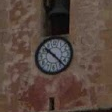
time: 10:22
